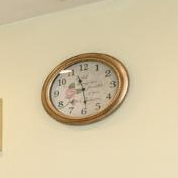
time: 11:29
